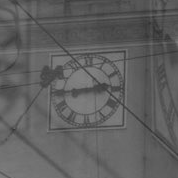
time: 2:44
